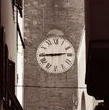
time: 2:44
